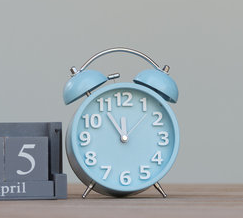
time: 11:54
